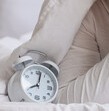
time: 8:02
